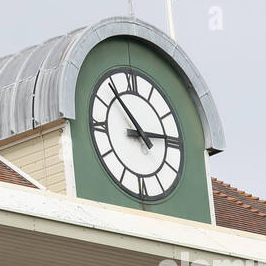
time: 2:53
